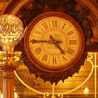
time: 4:44
